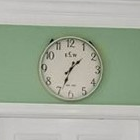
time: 1:33
